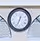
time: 12:34
